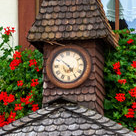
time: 4:52
